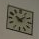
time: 10:07
